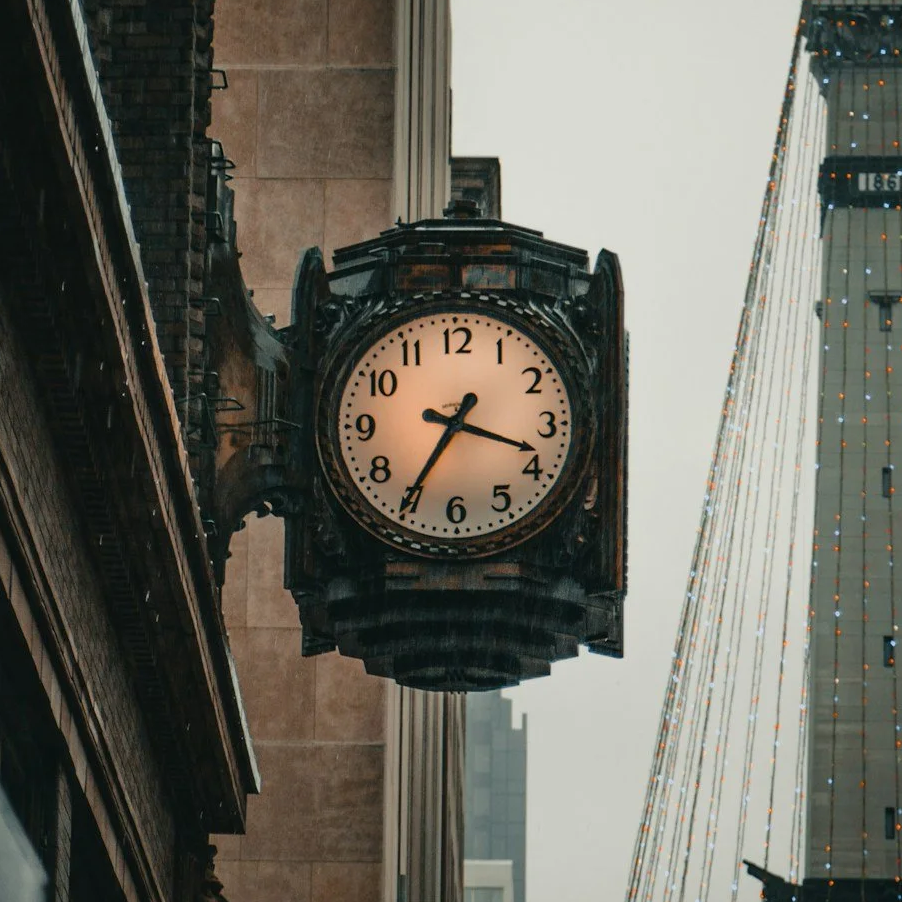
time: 3:35
